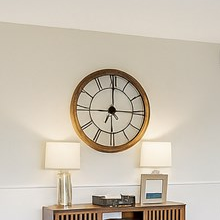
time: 2:59
